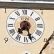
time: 7:27
